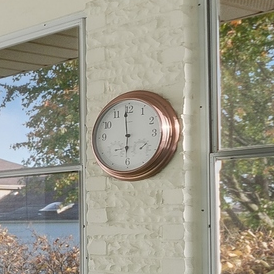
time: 5:59
